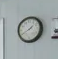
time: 1:39
